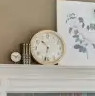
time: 10:32
